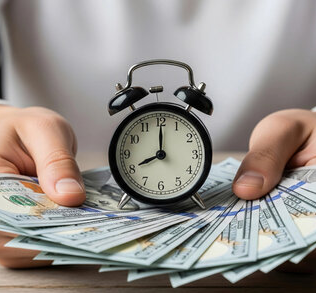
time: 8:00
